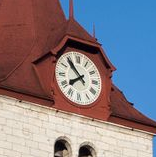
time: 7:53
